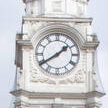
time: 1:39
